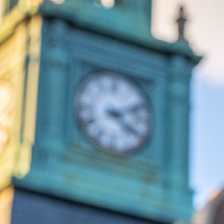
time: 4:11
